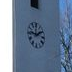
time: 1:46
